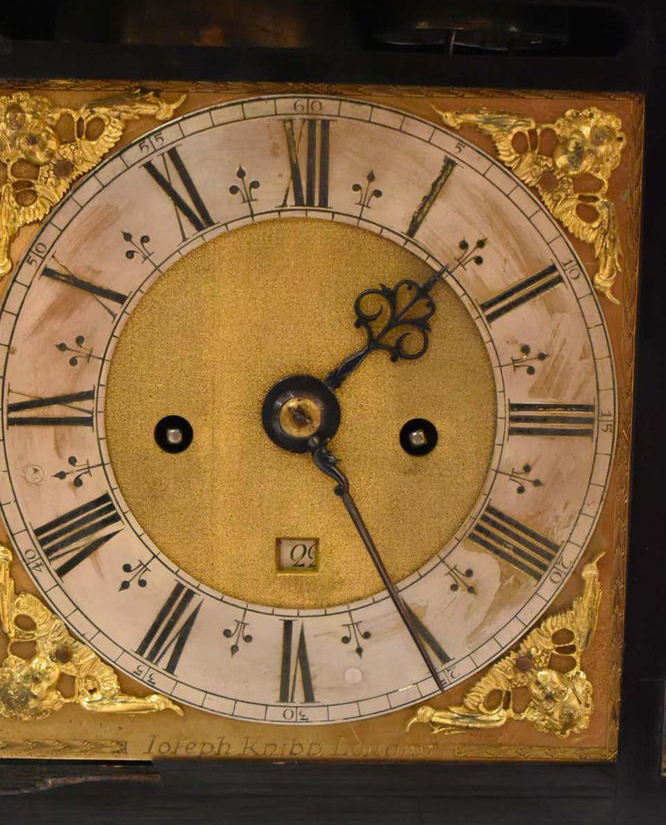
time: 1:24
